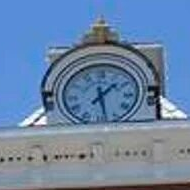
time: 1:28
